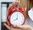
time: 7:59
